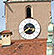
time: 1:39
